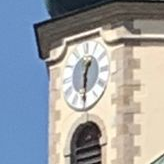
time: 12:30
